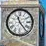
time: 11:23
